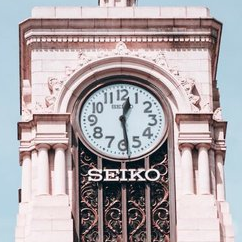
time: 12:28
